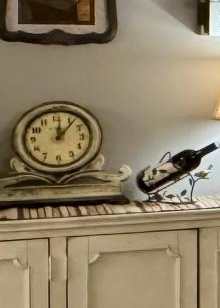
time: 12:06
